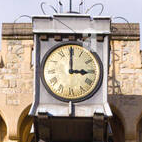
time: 3:00
